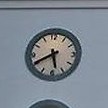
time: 5:40
